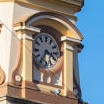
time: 3:34
